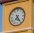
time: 7:24
